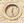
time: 12:27
